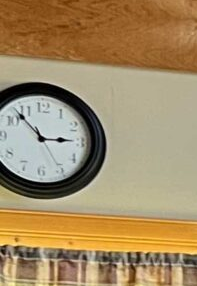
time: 2:53
